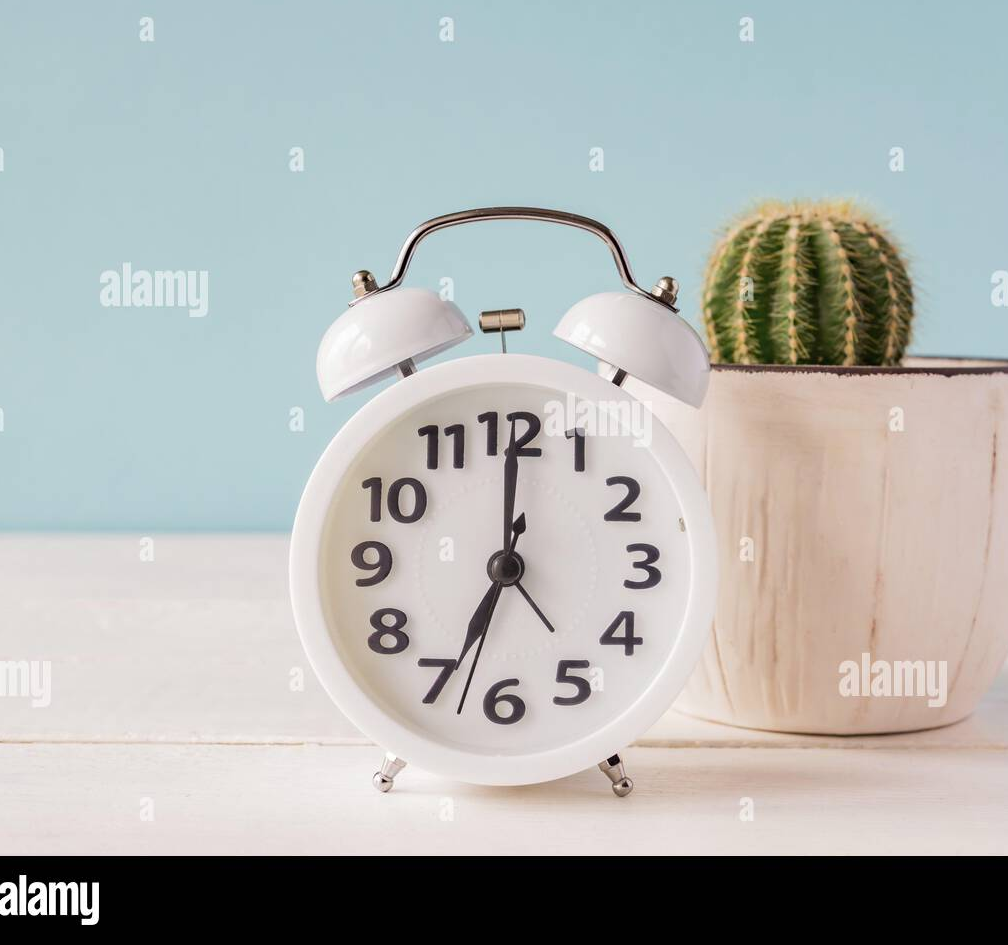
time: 7:00
